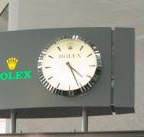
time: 4:26
